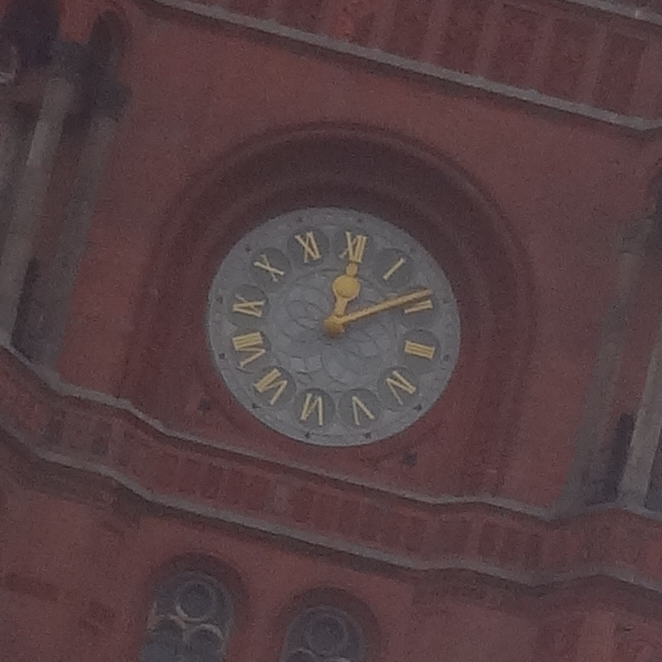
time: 12:08
